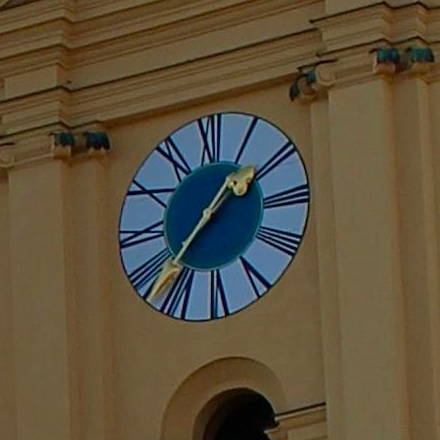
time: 1:37
